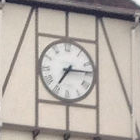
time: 7:14
